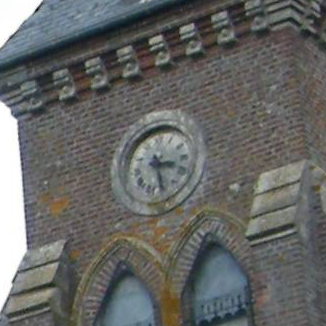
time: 3:27
